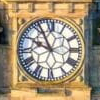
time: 9:56
